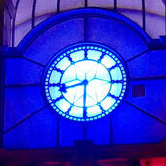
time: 8:30
